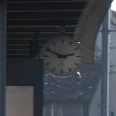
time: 2:49
